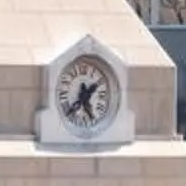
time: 5:38
